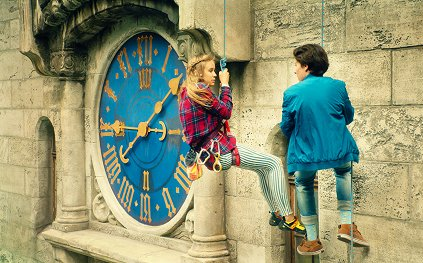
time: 1:39
